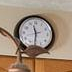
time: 11:30
